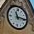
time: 11:15
